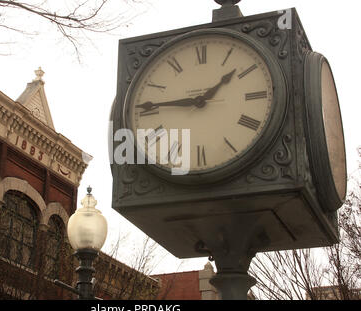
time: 1:45
